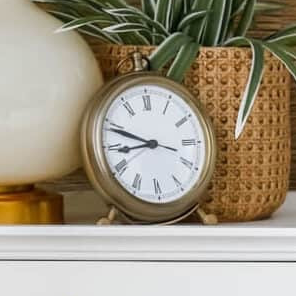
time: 8:48
